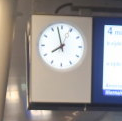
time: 7:57
